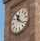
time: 11:21
